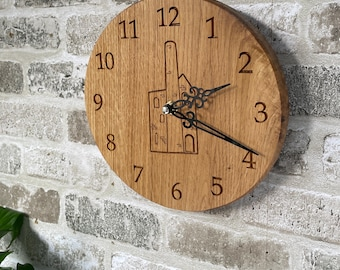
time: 2:19
